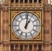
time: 1:01
